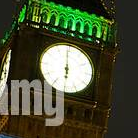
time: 5:59
